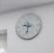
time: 9:32
